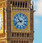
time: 10:42
